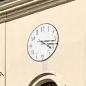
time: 4:16
